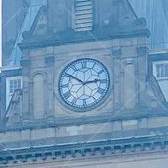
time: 2:50
